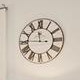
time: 11:45
